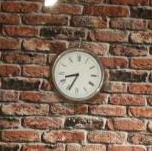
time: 8:34
